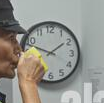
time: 1:47
